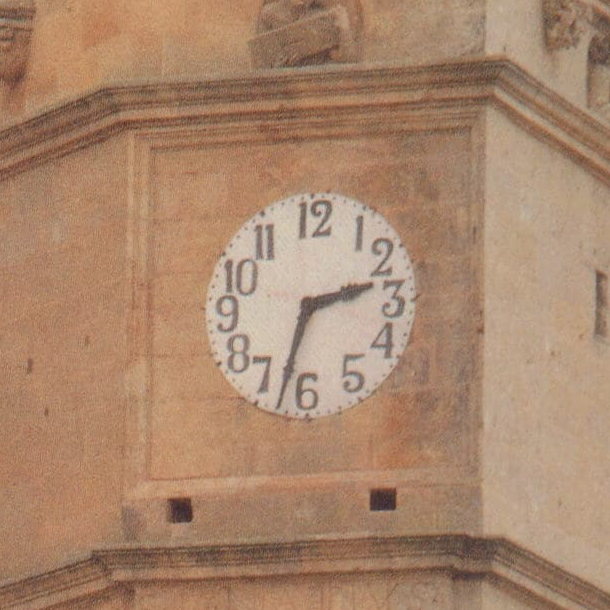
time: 2:32
